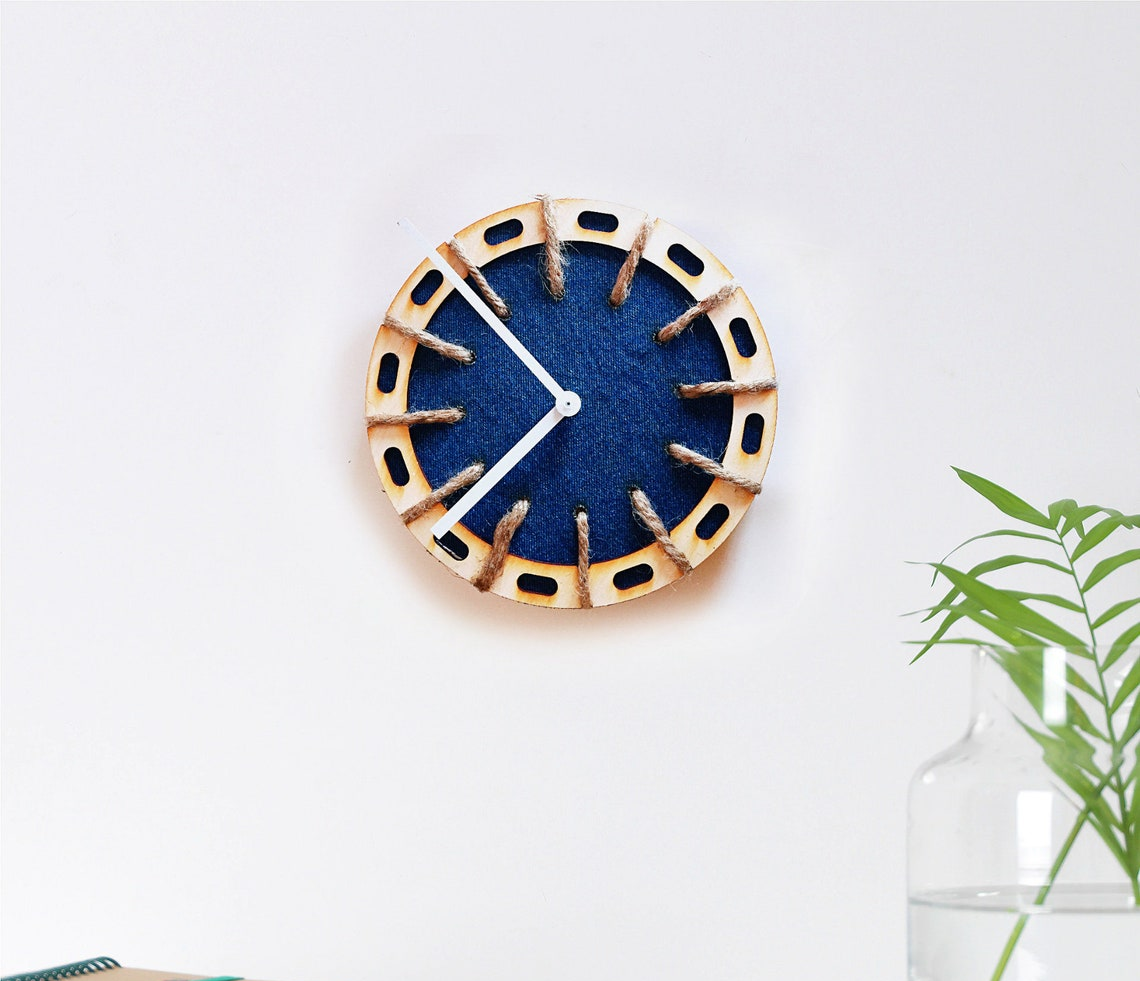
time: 10:38
